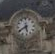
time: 5:40
